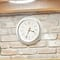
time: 3:34
